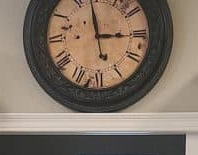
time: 2:58
